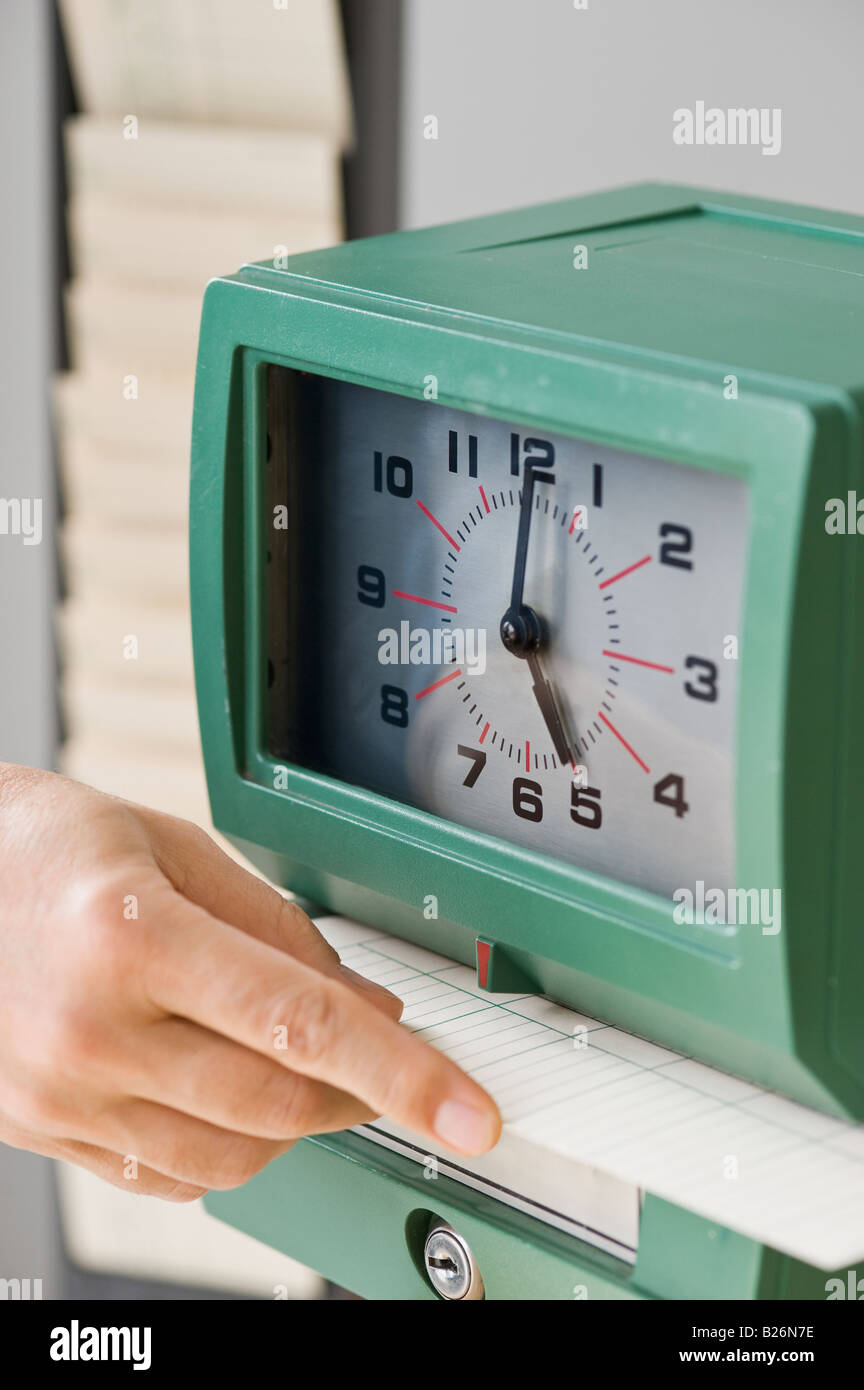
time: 5:01
